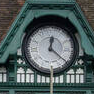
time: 12:21
